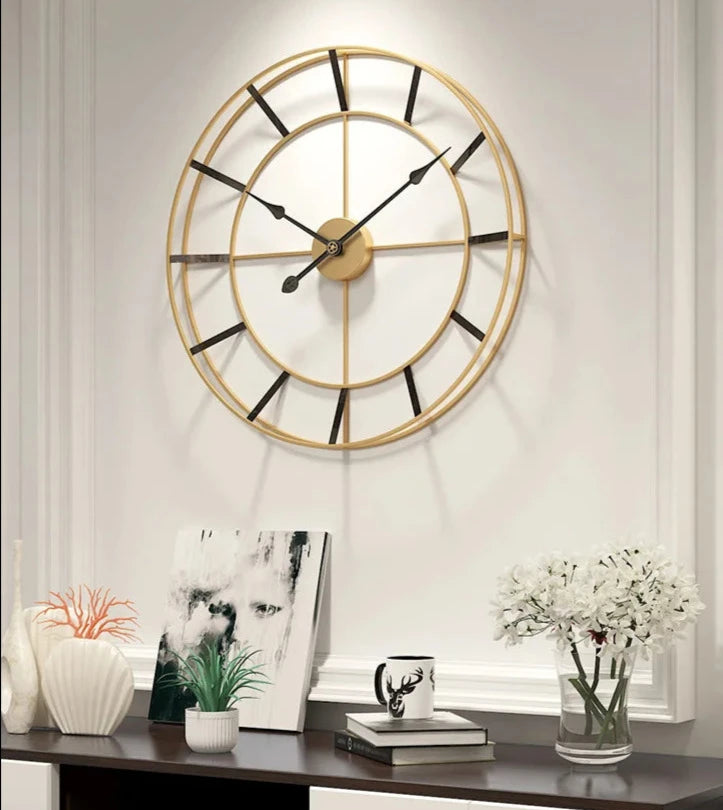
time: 1:50
